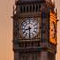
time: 8:30
